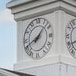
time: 8:07
